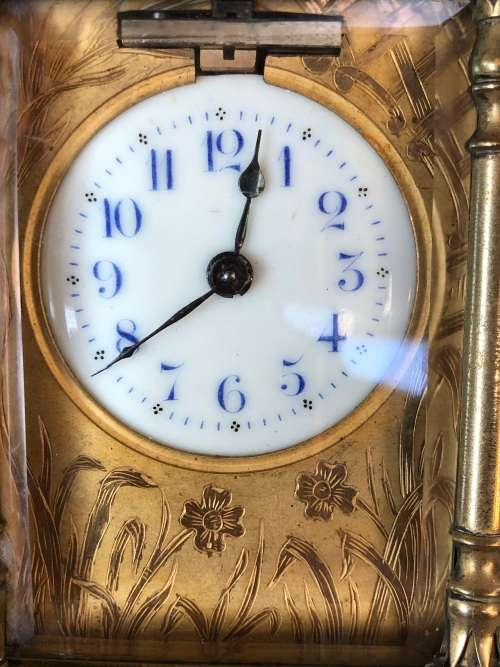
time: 12:39
